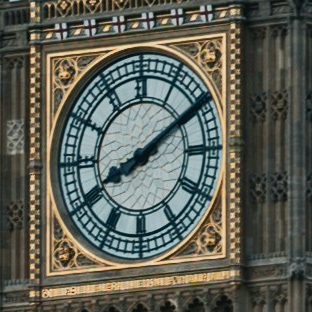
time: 8:09
